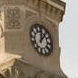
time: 12:06
